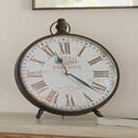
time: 11:21
